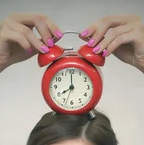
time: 8:00
